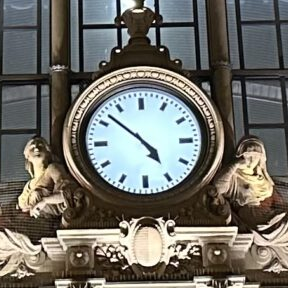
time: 4:52
